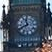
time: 11:40
